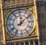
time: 12:09
